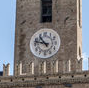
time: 10:47
